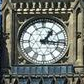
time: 1:16
